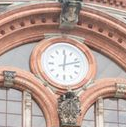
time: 12:12
